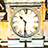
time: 10:31
